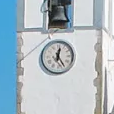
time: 12:24
